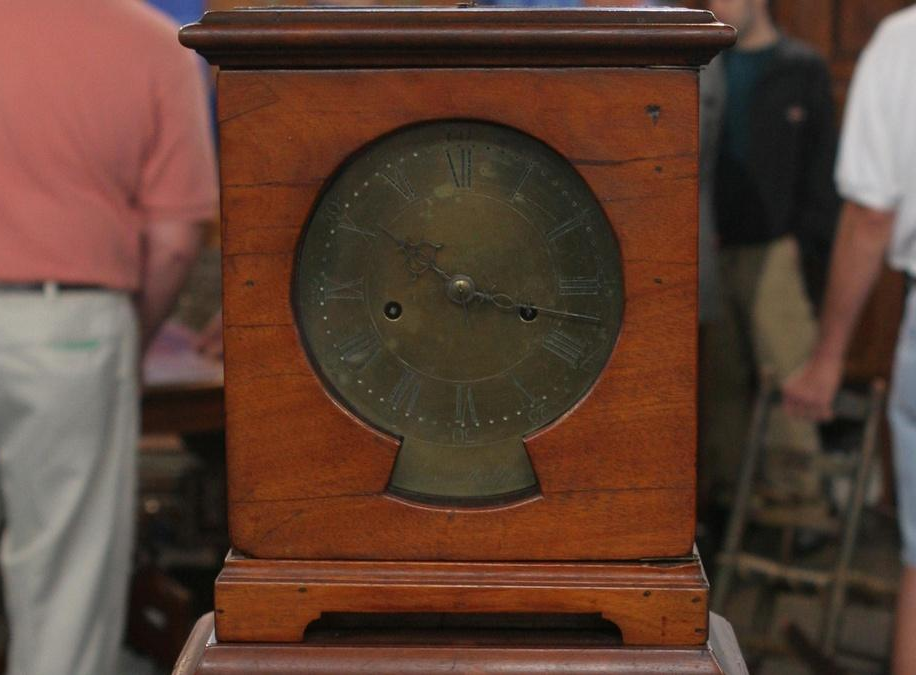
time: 10:17
